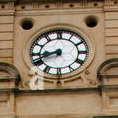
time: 8:41
